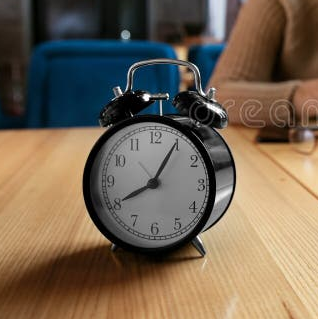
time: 8:05
